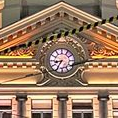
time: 8:34
